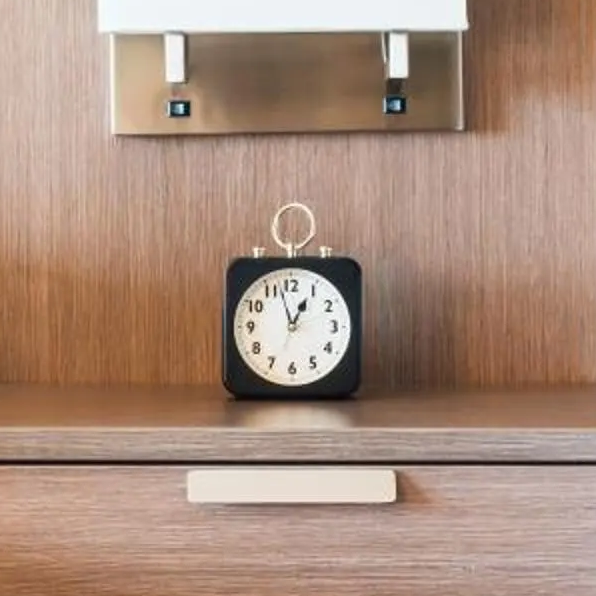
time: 12:57
